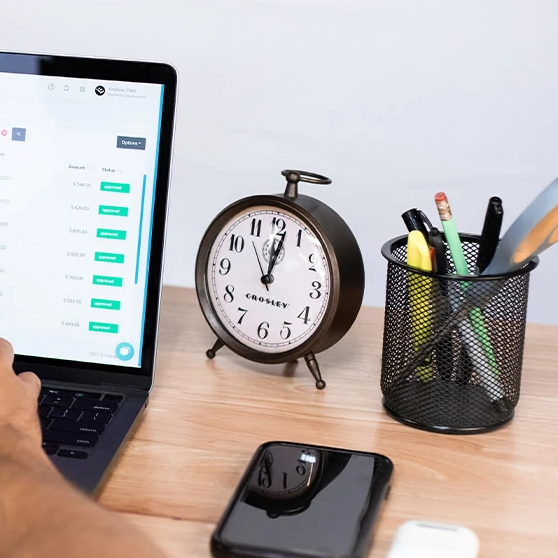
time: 12:01
